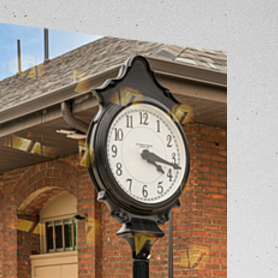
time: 4:17
